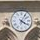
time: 4:04
